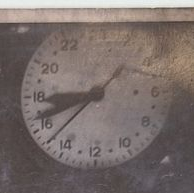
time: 8:37
